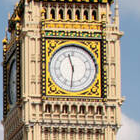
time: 11:31
